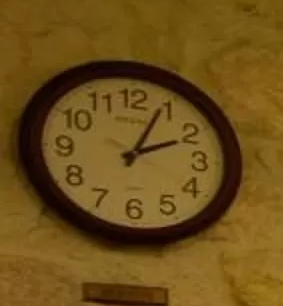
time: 2:04
